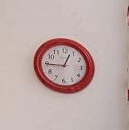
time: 12:44
